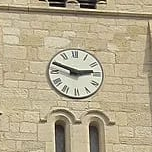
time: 2:48
